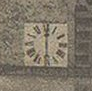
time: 6:00
